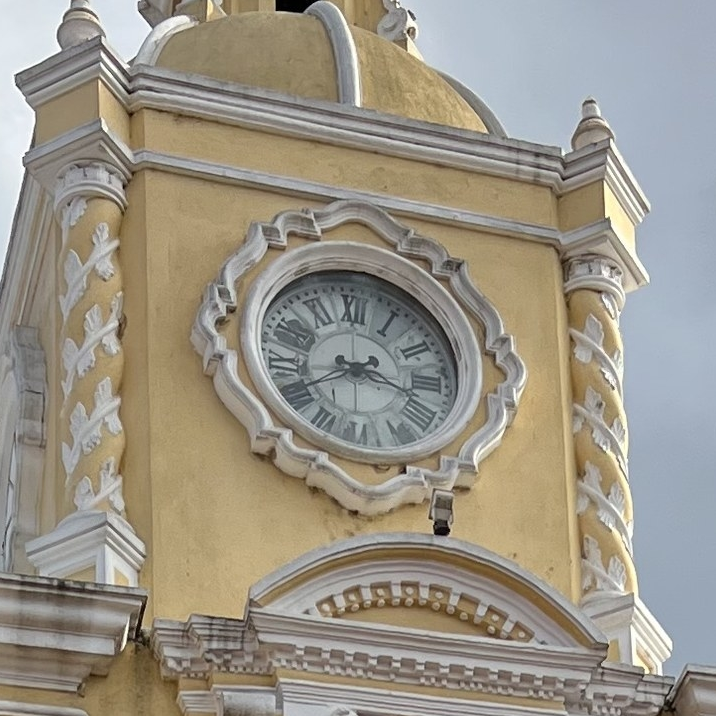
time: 3:40
